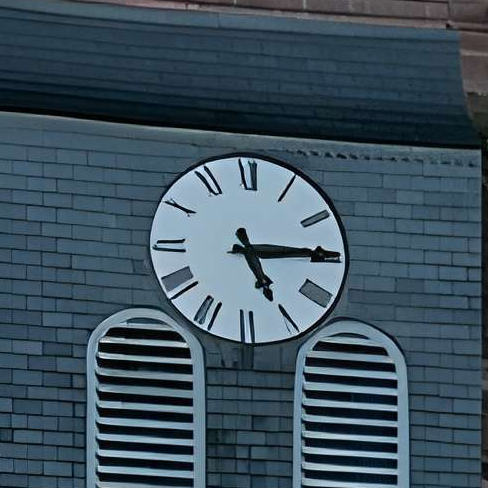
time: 5:14
